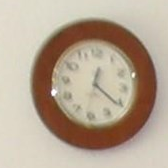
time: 12:20
